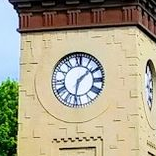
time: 1:31
